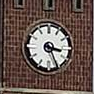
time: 3:25
